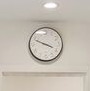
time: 3:48
